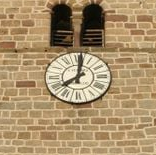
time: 8:01
